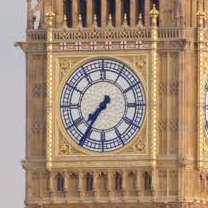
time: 7:35
